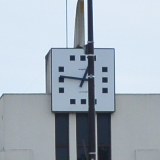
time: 12:46
